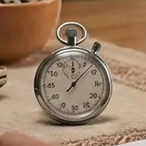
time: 12:07
